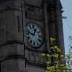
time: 12:47
